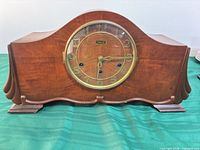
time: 6:15
